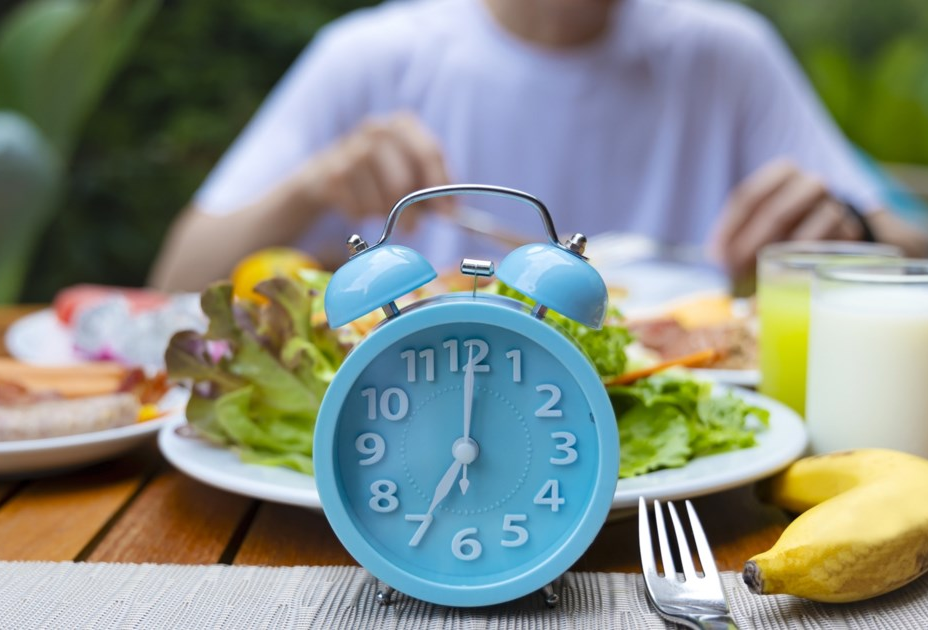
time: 7:00
